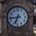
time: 6:43
